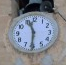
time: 11:30
